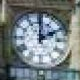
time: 2:00
